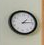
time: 1:13
